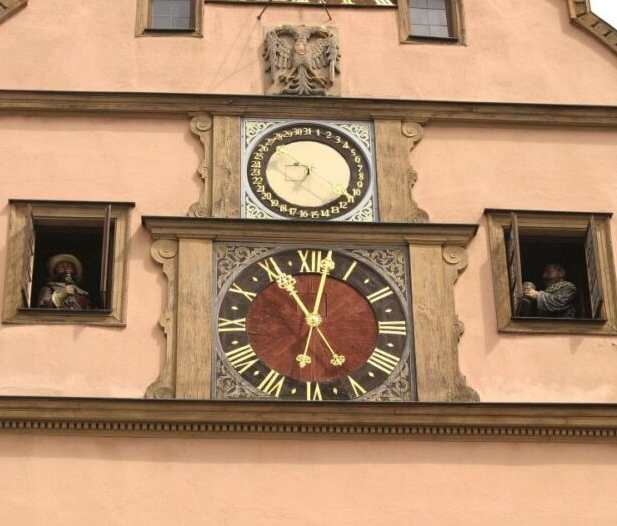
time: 11:02
